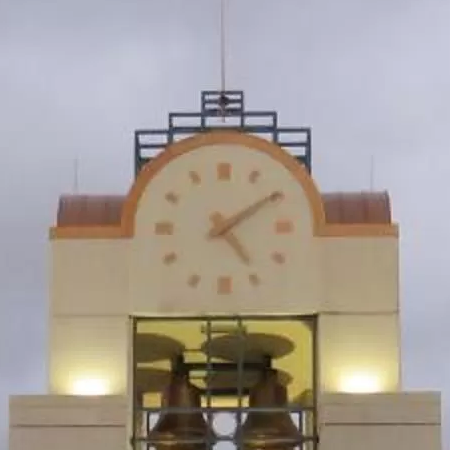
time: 5:09
